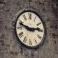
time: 2:48
